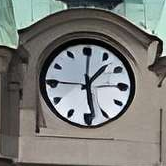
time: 1:28
